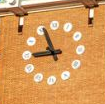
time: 8:56
